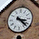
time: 3:22
